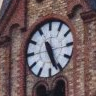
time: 5:26
